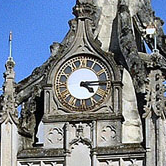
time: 4:14
